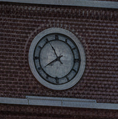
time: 7:55
